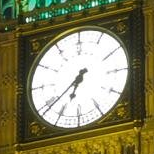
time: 6:38
